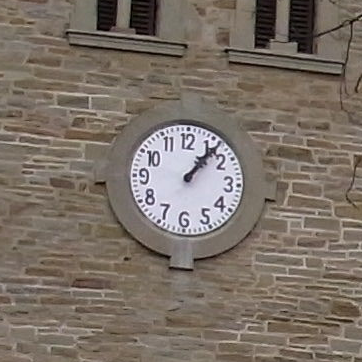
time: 1:06
